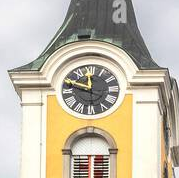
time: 11:48
